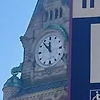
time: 11:53
